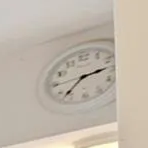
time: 2:37
